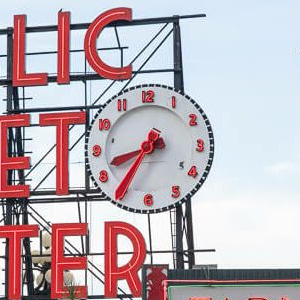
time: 8:36
